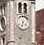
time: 6:32
